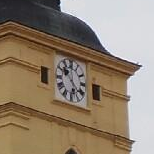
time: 10:22
